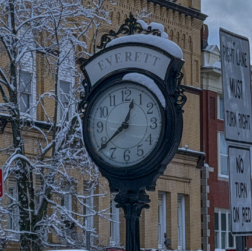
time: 12:38
